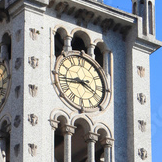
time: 3:43
